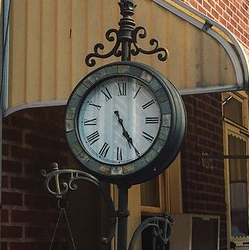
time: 5:24
